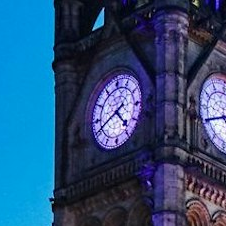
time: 4:40
